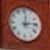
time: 12:13
